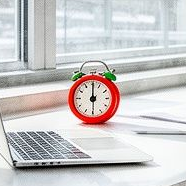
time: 6:00
